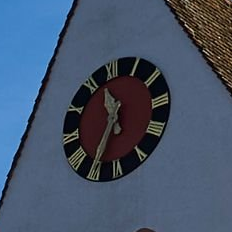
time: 11:35
